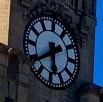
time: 5:38
